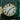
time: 7:09
